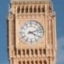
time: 4:12
